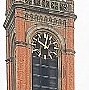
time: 12:49
